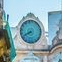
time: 7:40
